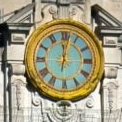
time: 12:01
